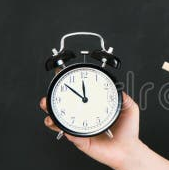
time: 11:51
